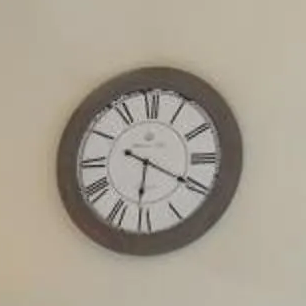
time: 6:19
